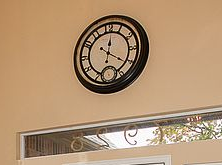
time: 12:20
